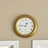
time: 12:46
